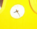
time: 8:24
